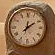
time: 12:09
